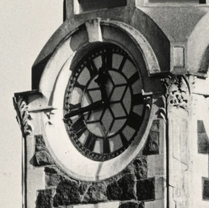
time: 11:42
